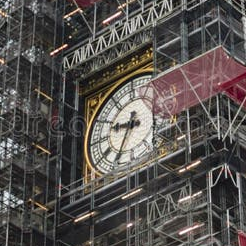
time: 9:34
